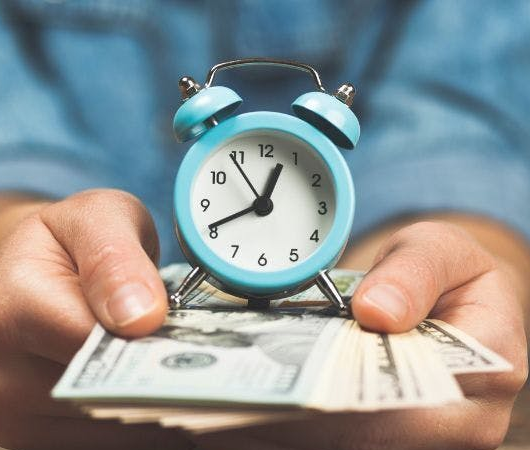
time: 12:40
